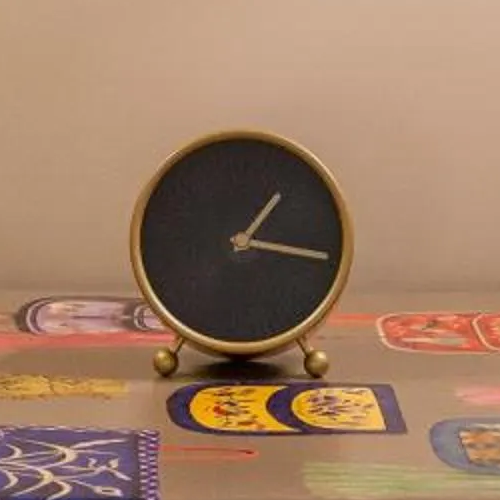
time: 1:16
